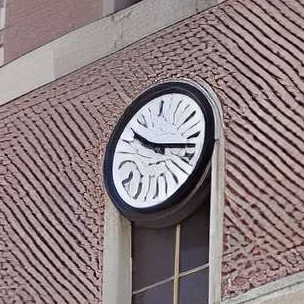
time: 10:17
